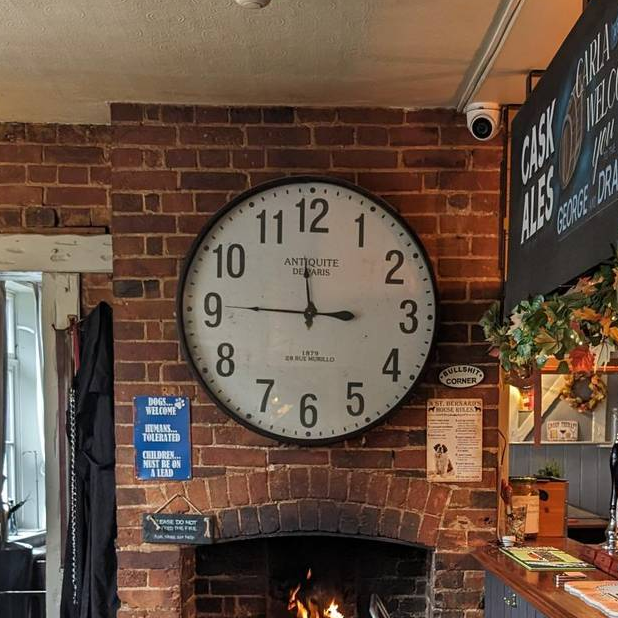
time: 11:45
